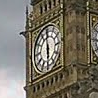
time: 5:59
